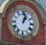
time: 1:02
